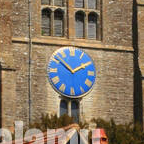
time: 1:51
